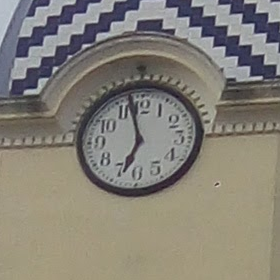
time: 6:57
